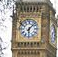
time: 6:07
